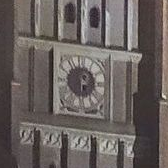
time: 2:29
